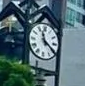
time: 11:20
